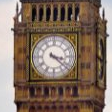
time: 3:21
